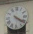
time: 4:20
